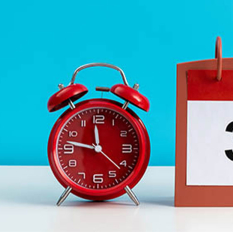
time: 11:46
